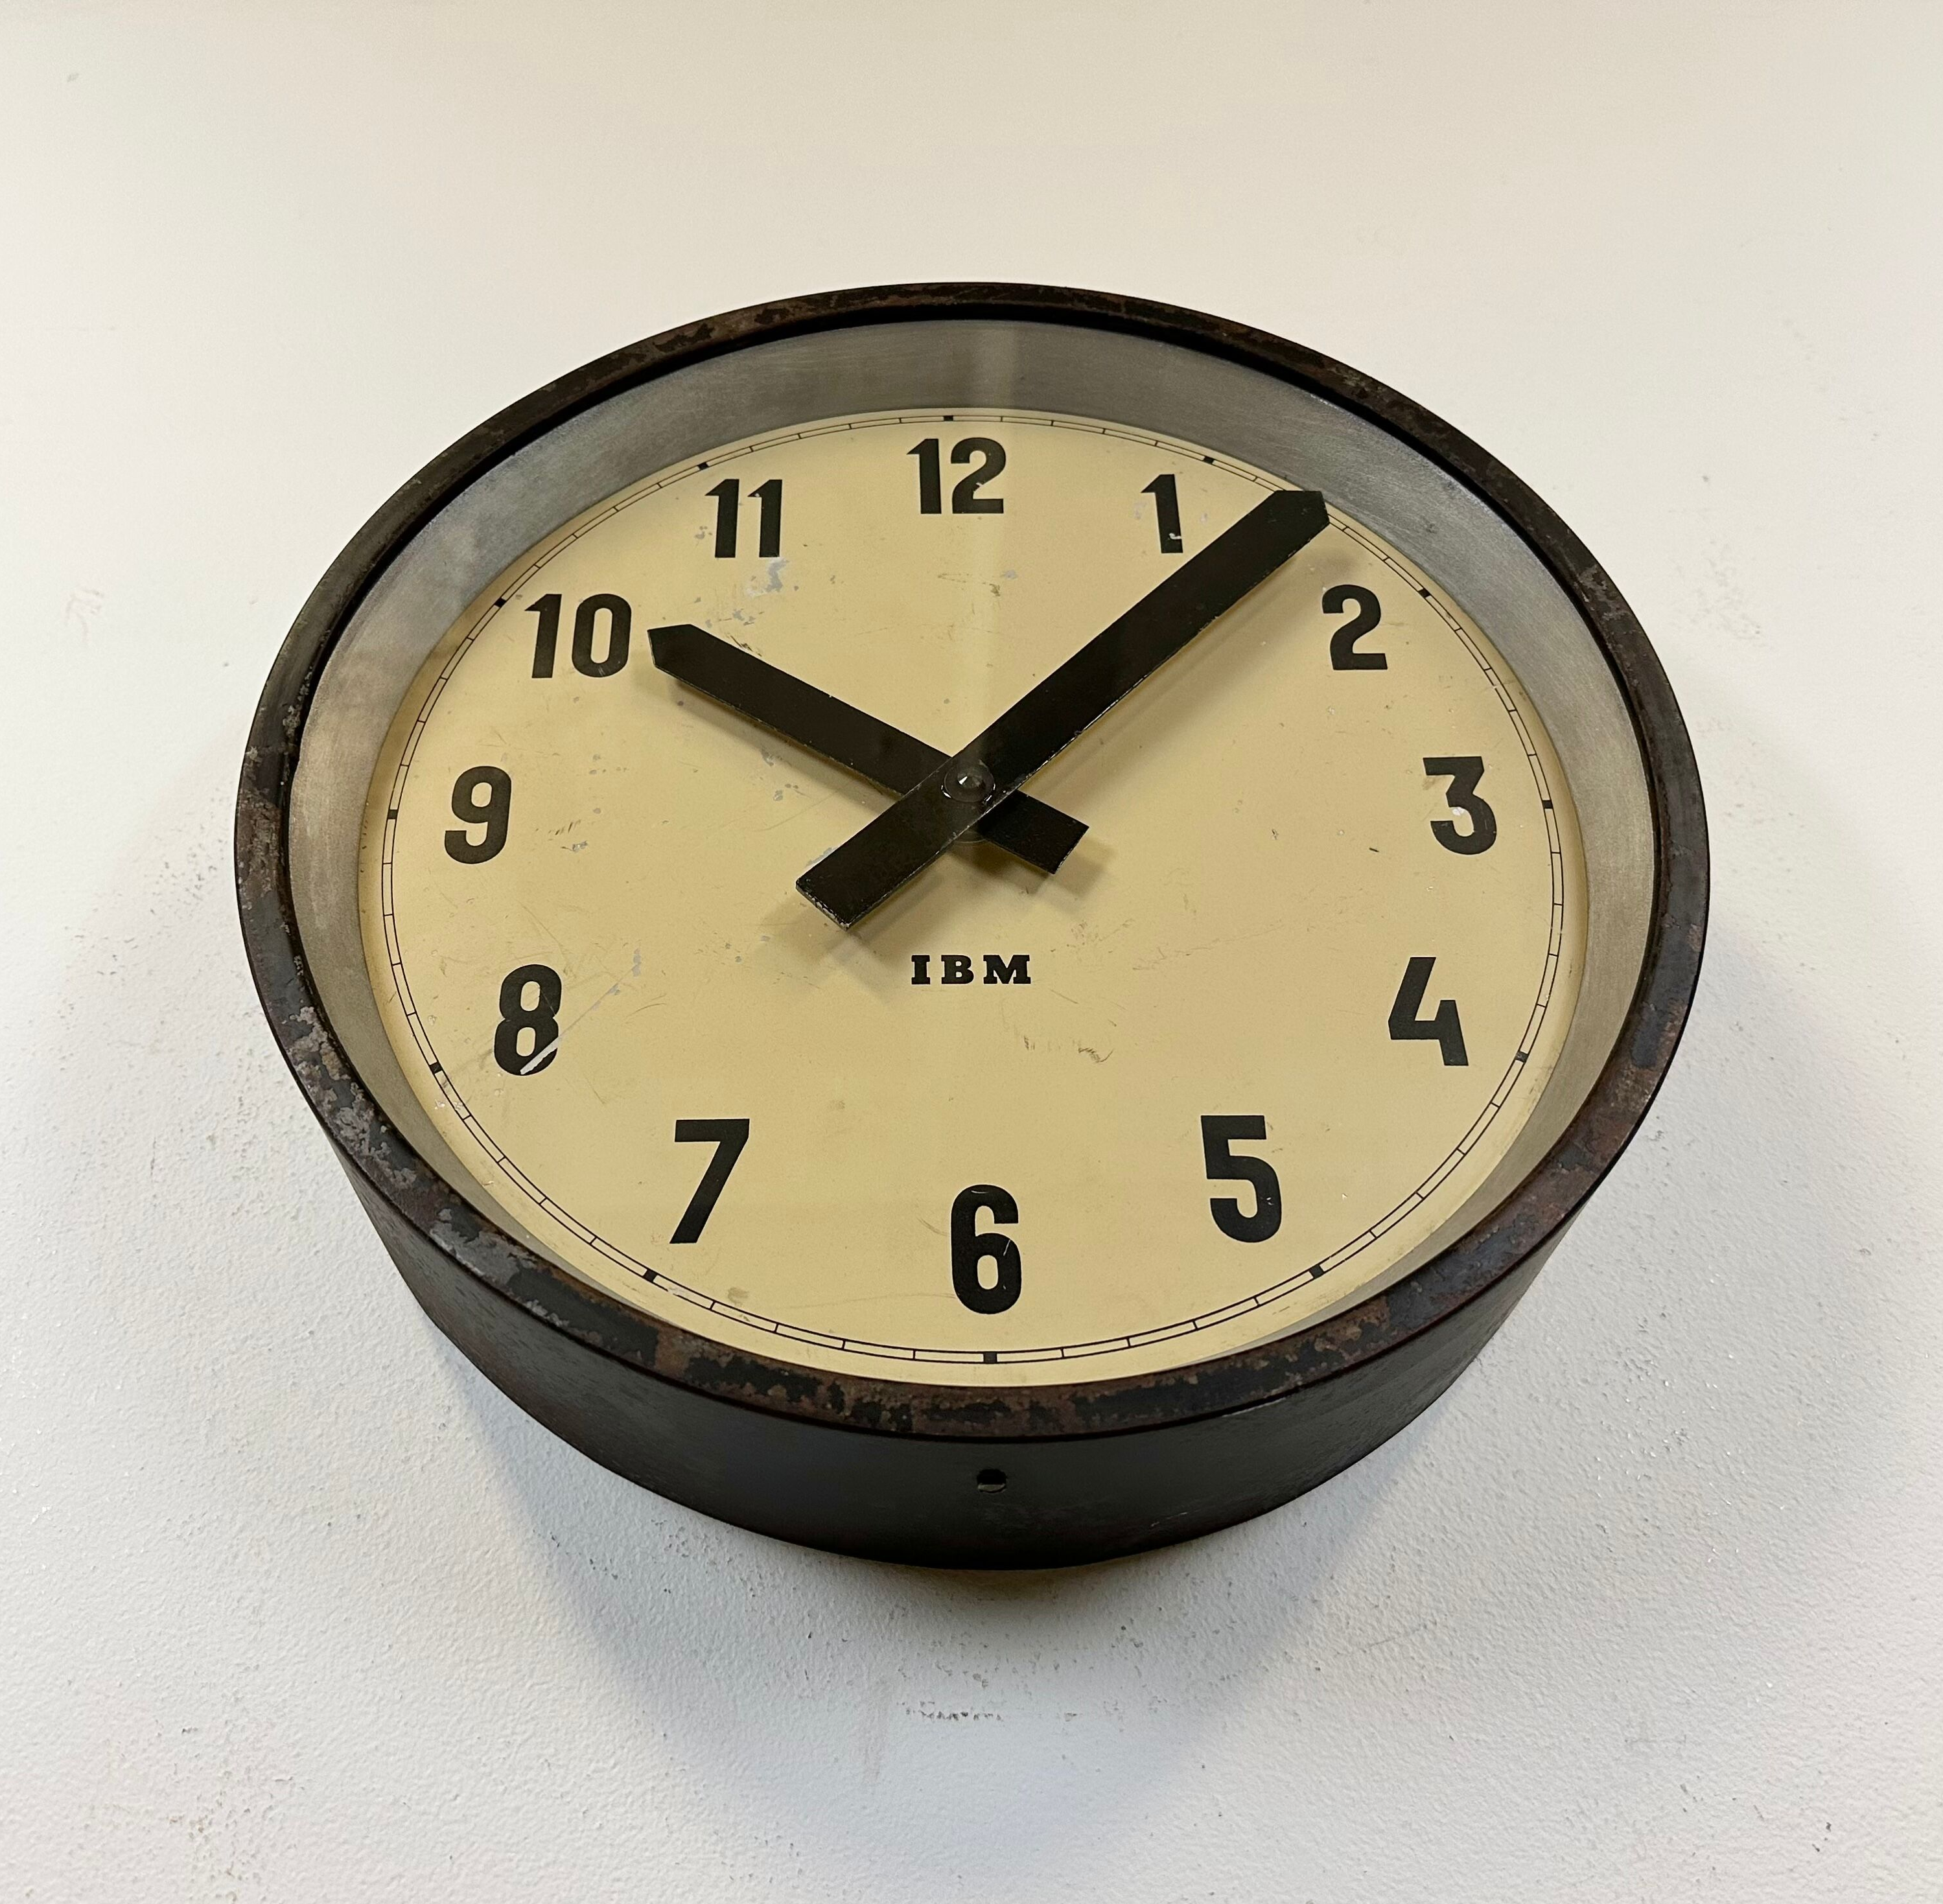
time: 10:07
